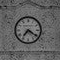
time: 7:20
